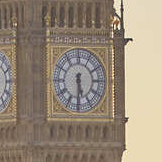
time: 5:30
